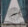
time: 8:12
